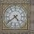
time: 4:38
